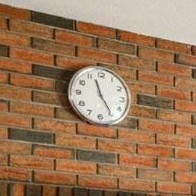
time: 11:24
